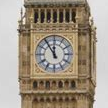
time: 11:54
